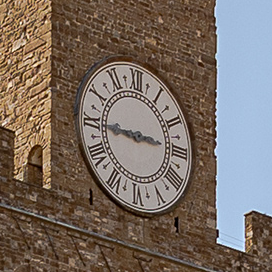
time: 2:44
